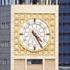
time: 4:24
